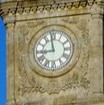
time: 8:58
